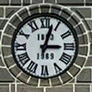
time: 3:02
